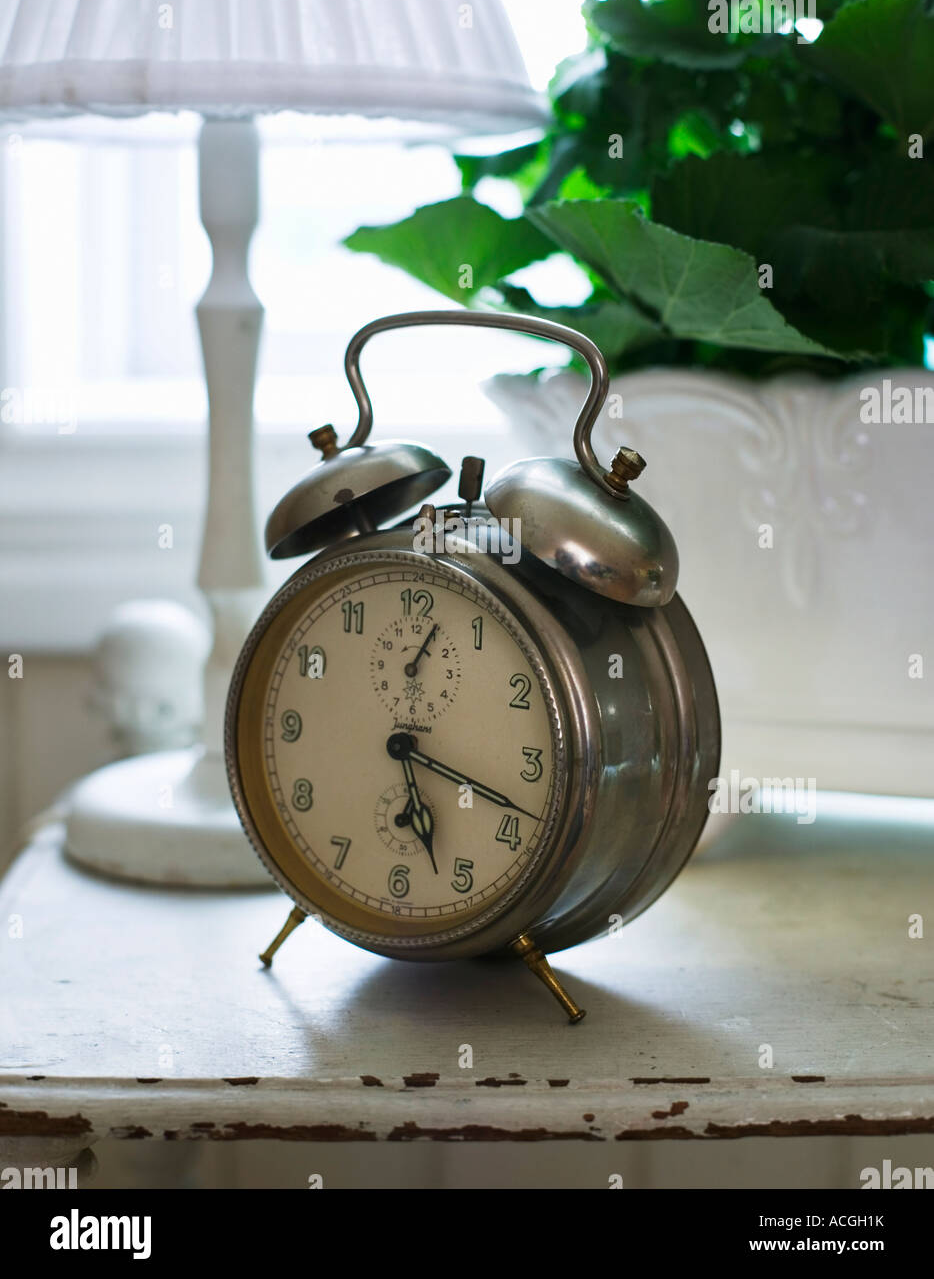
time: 5:18
